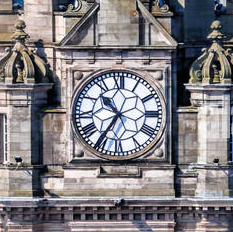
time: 10:35
